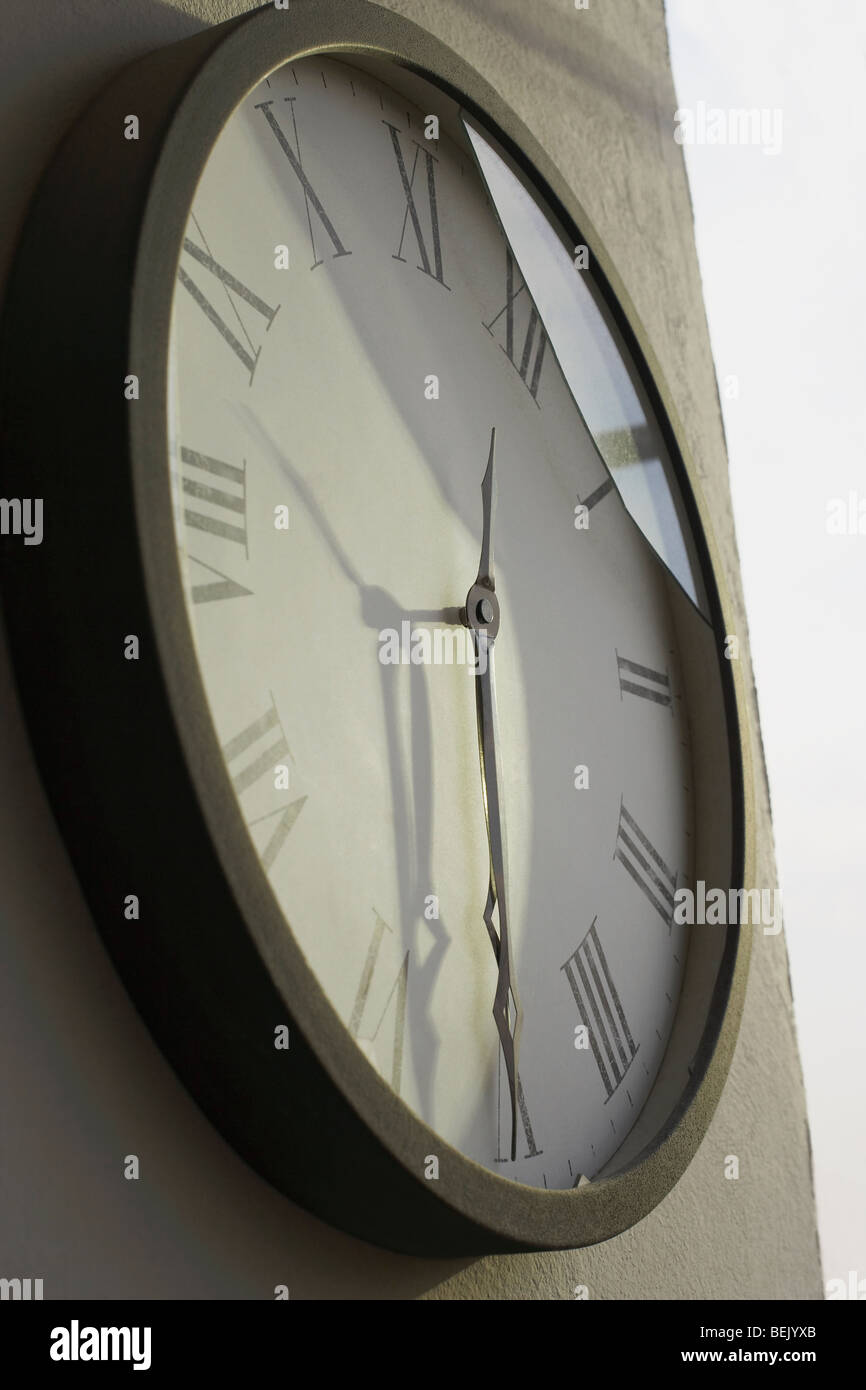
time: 8:30
